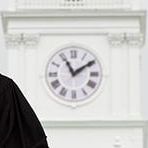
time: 11:09
